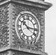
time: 10:15
